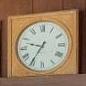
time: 9:35
